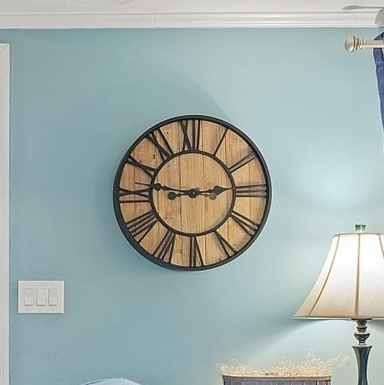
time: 2:46
